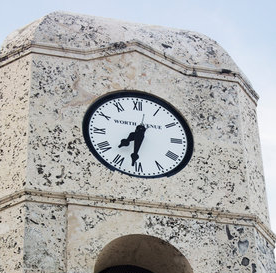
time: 7:31
